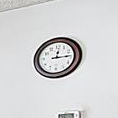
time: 12:14
